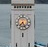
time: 7:25
